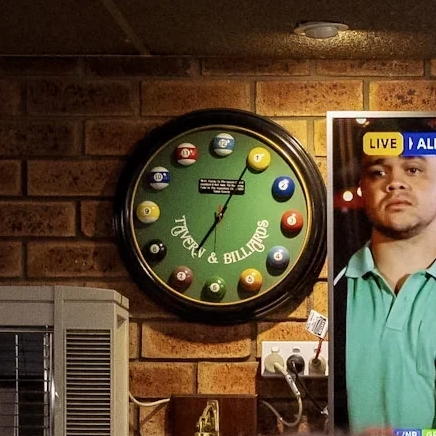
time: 7:04
